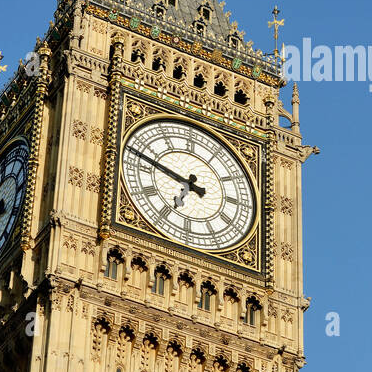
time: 6:47
